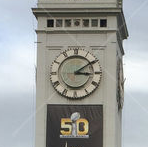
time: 3:09
